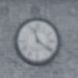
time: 11:21
